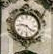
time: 9:22
